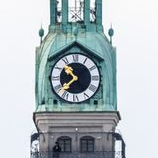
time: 10:37
